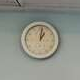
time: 1:01
